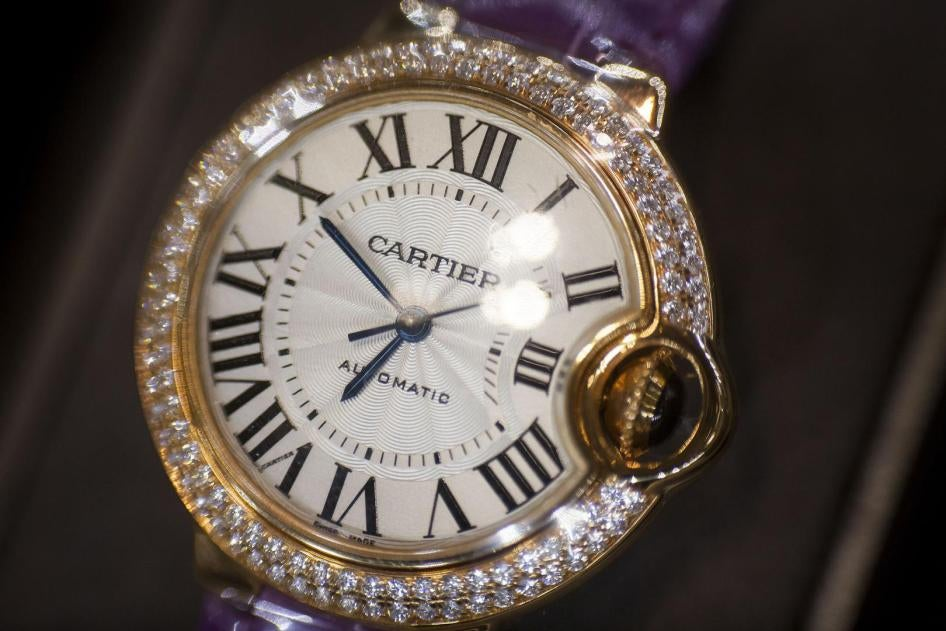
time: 6:49
